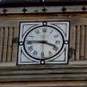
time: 3:45
